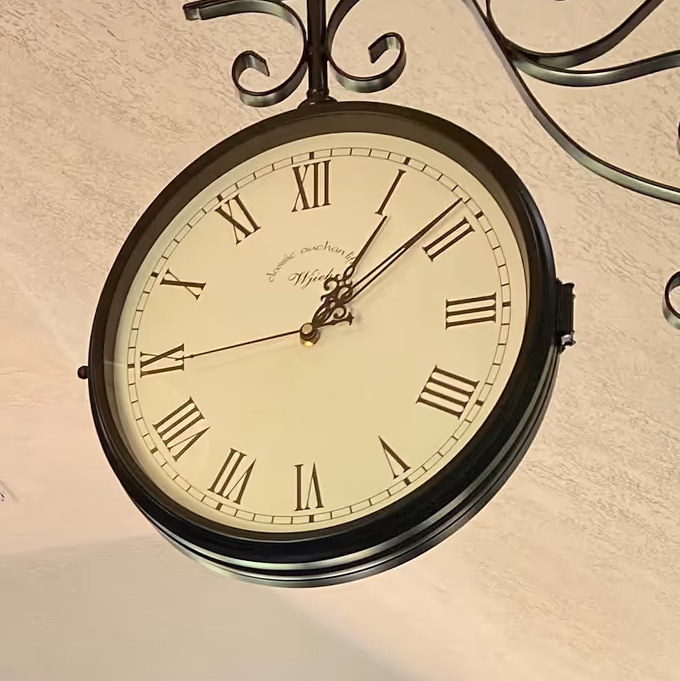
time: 1:08
